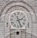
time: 2:26
